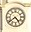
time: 4:38
